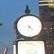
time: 4:33
